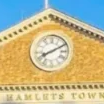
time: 8:10
